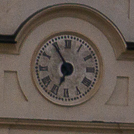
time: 6:54
